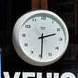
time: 2:29
